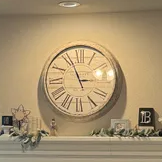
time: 2:56
